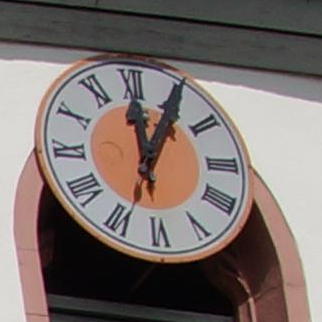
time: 12:05
